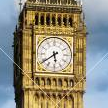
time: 5:39
